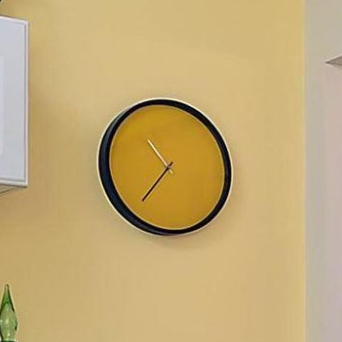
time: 10:37
